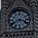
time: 3:40
